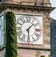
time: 1:29
